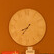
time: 7:35
